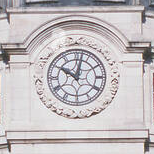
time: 10:01
